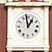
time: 12:58
